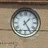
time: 1:24
